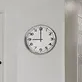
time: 8:59
